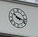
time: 10:17
